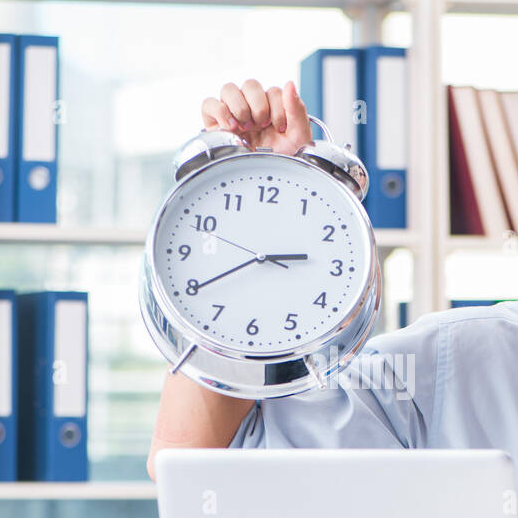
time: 2:39
